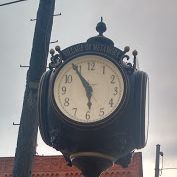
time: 5:54
